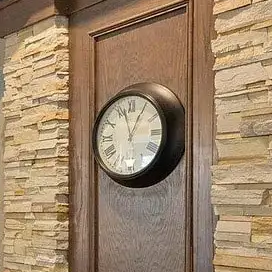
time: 12:57
